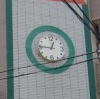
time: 12:45
